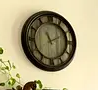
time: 11:10
